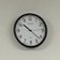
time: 10:21
